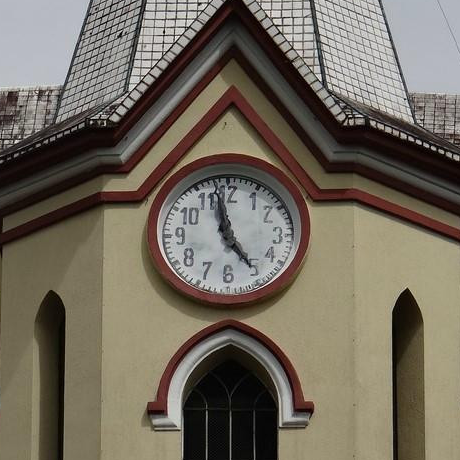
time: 4:58
